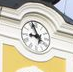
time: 8:56
